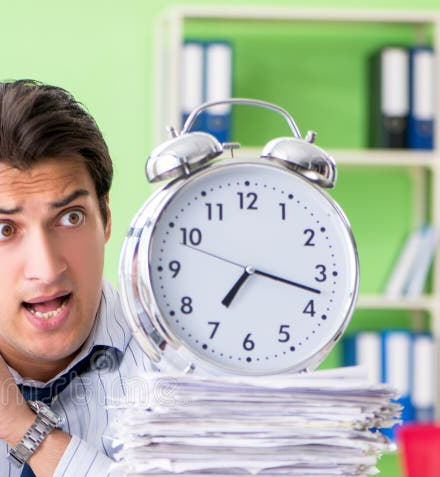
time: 7:17
